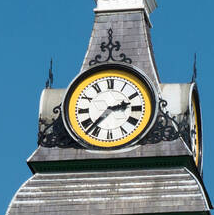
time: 2:37
